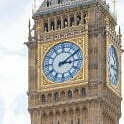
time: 3:09
